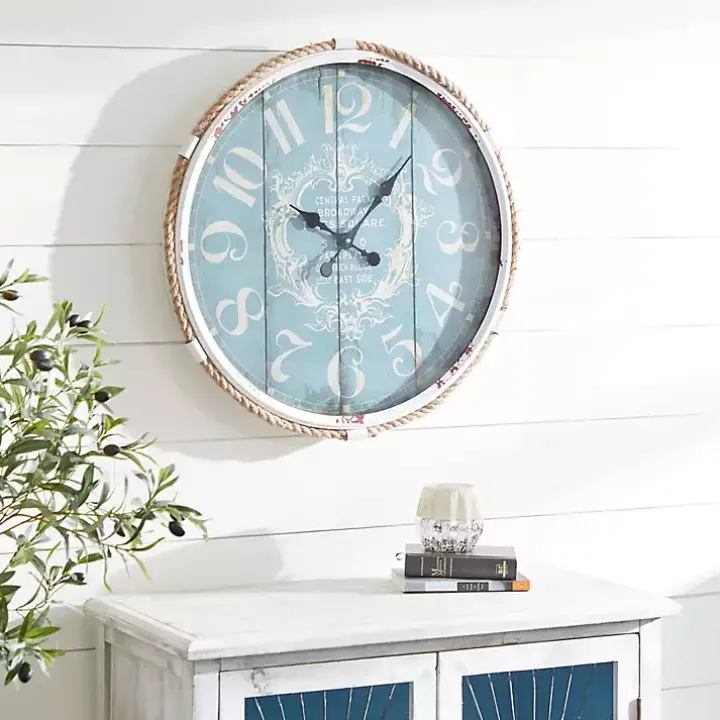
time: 10:07
